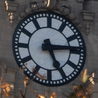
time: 5:14
